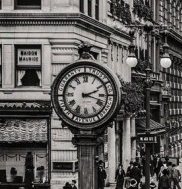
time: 2:18
